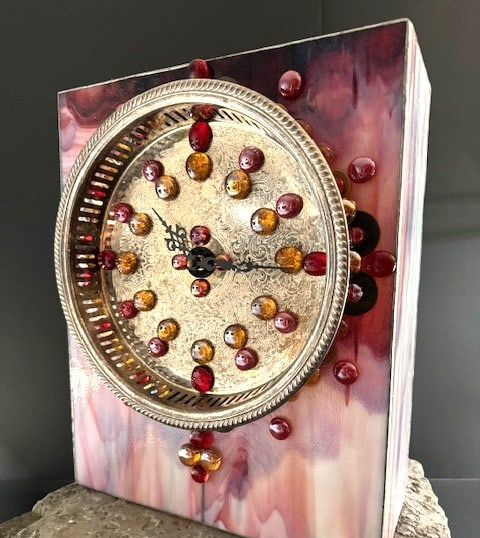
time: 10:15
